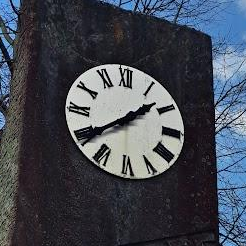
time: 1:39
